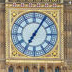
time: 7:05
